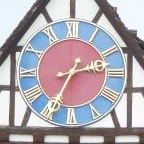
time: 2:34
